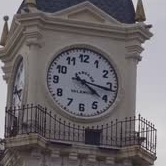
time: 4:16
